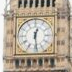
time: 12:28
